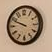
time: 9:48
